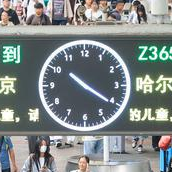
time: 10:20
